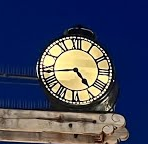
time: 4:43
